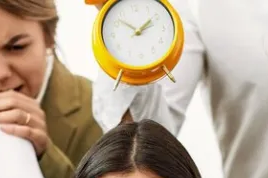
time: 1:52
